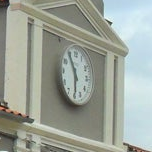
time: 5:54
